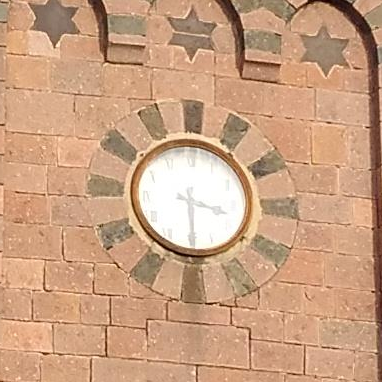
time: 3:29
